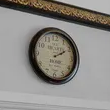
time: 2:09
